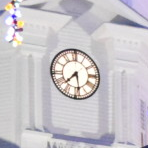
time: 7:28
